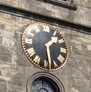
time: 1:28
